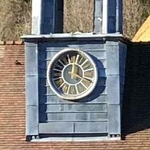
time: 12:19
